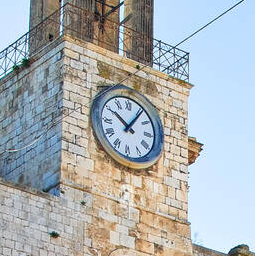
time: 10:06
